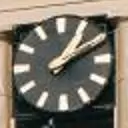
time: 1:10
